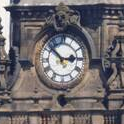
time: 2:52
